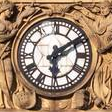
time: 6:09
